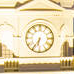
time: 6:35
